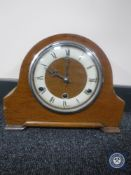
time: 10:00
